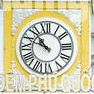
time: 10:48
